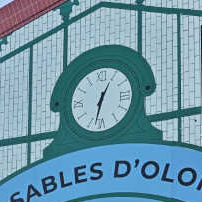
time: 12:32
